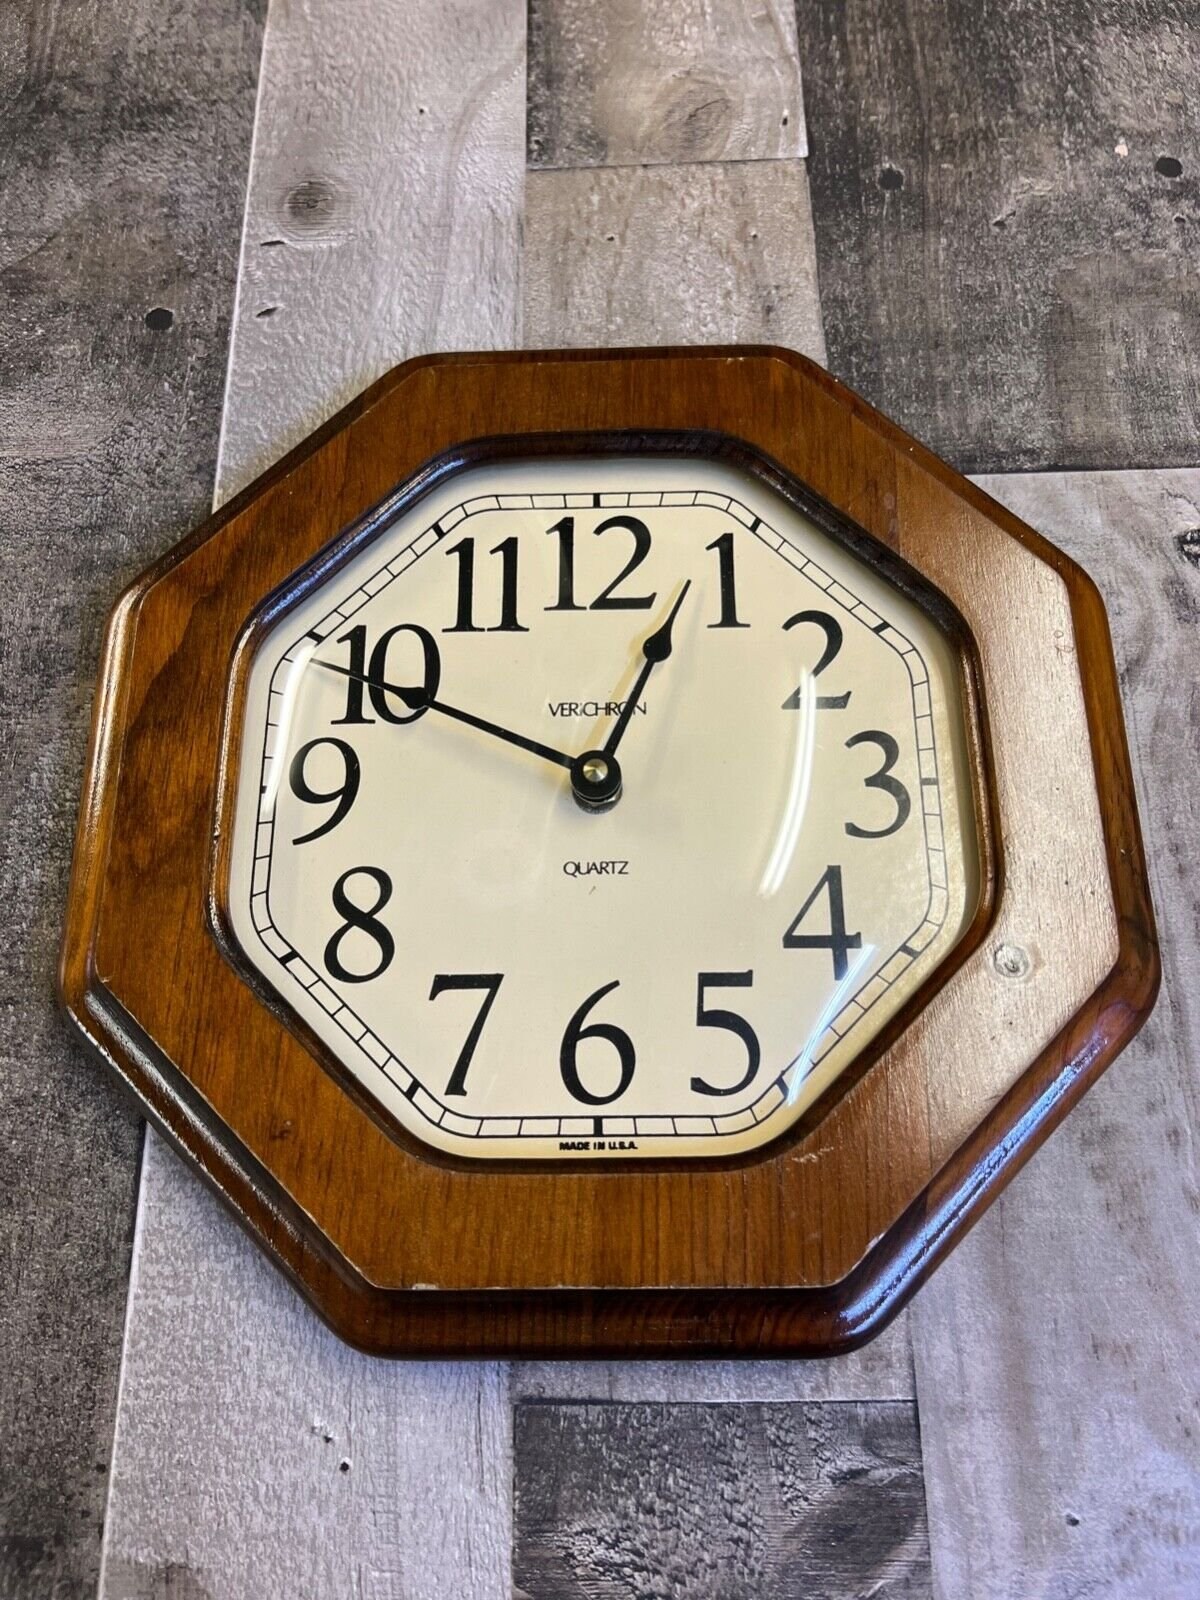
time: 12:49
